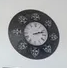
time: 2:12
